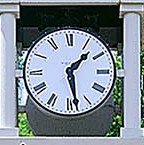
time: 1:28
